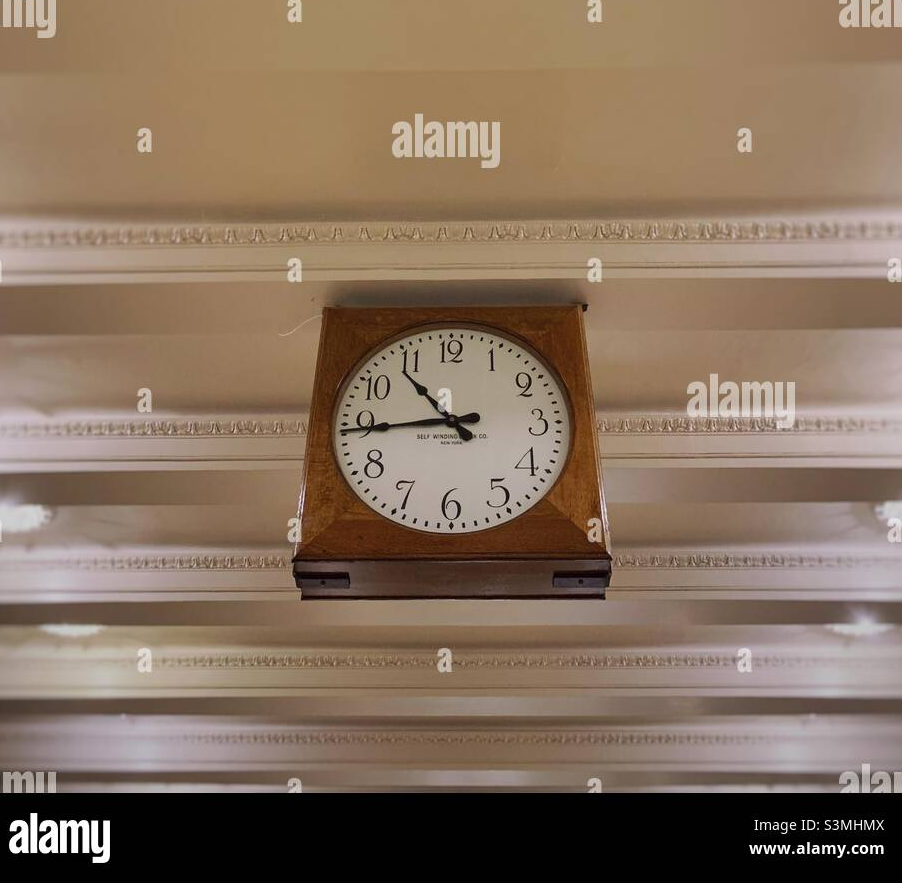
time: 10:44
